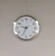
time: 9:34
